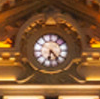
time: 6:23
